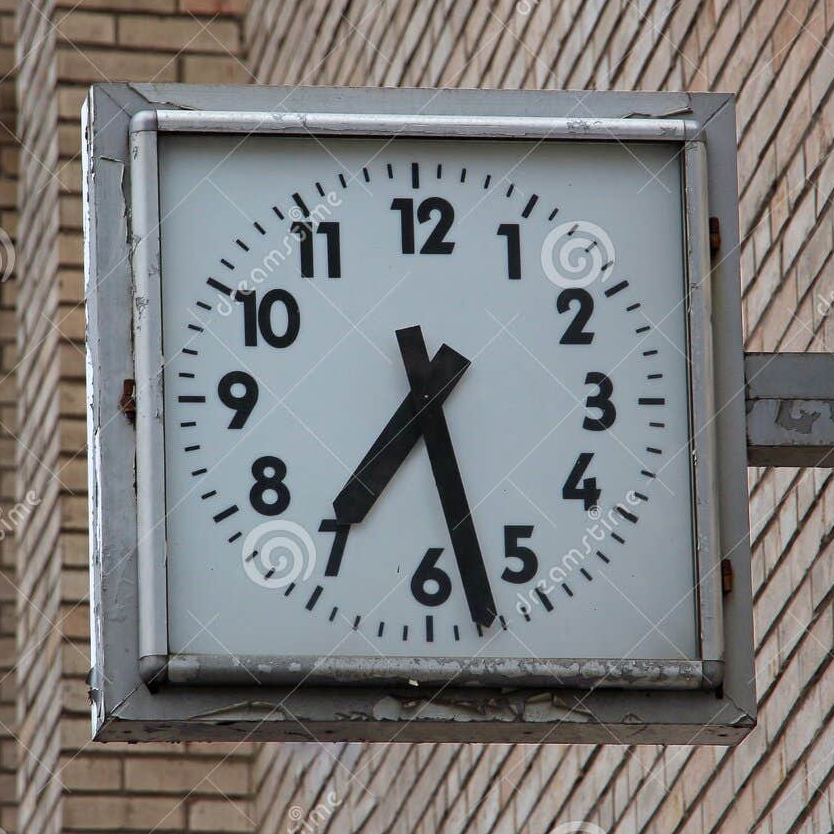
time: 7:27
